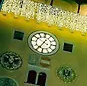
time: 7:04
